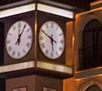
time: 5:49
